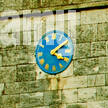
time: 2:09
